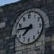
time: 7:46
